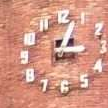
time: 3:04
